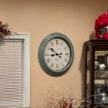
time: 8:51
